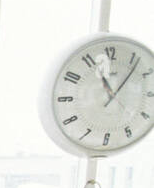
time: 11:06
